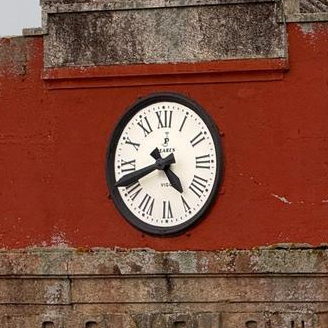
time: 4:41
